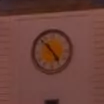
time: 4:52
